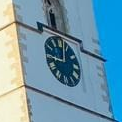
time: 9:01
